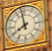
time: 7:58
